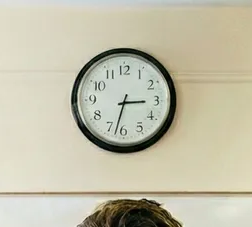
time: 2:32
